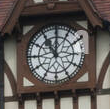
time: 11:00
